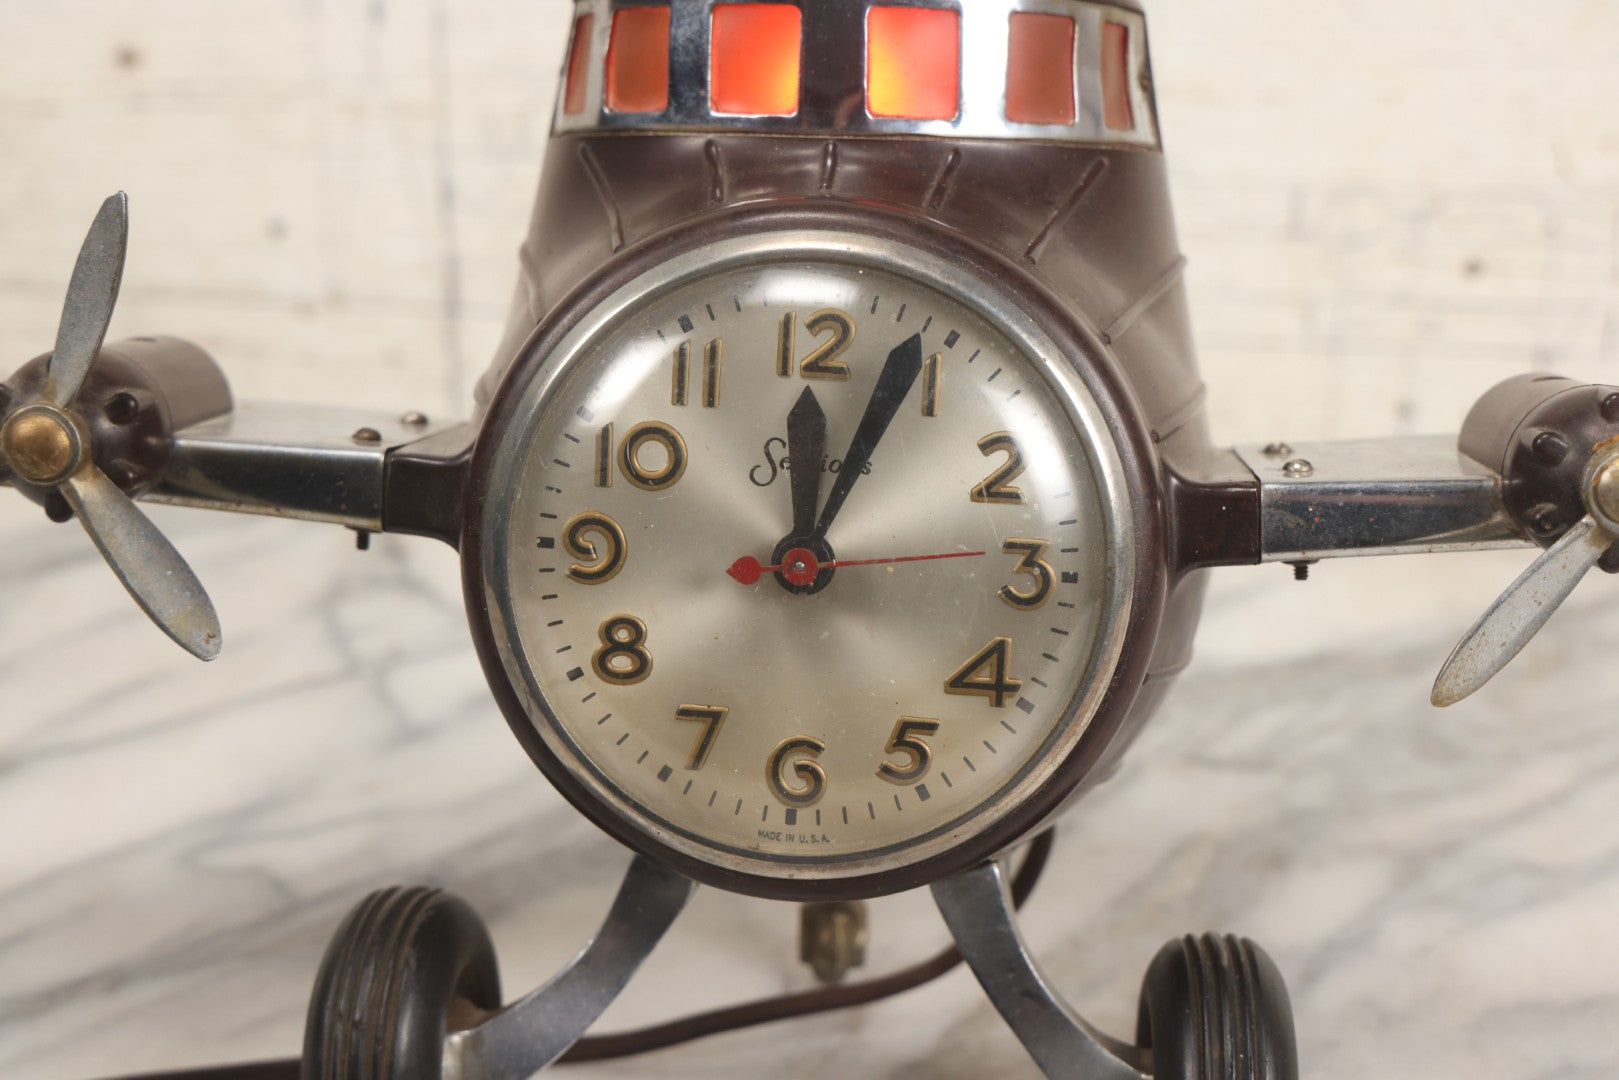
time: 12:03
